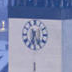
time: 6:25
